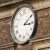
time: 3:09
